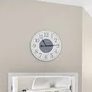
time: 11:14
